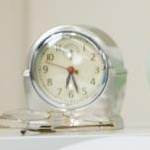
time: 6:27
